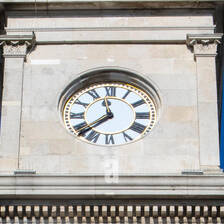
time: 11:38
